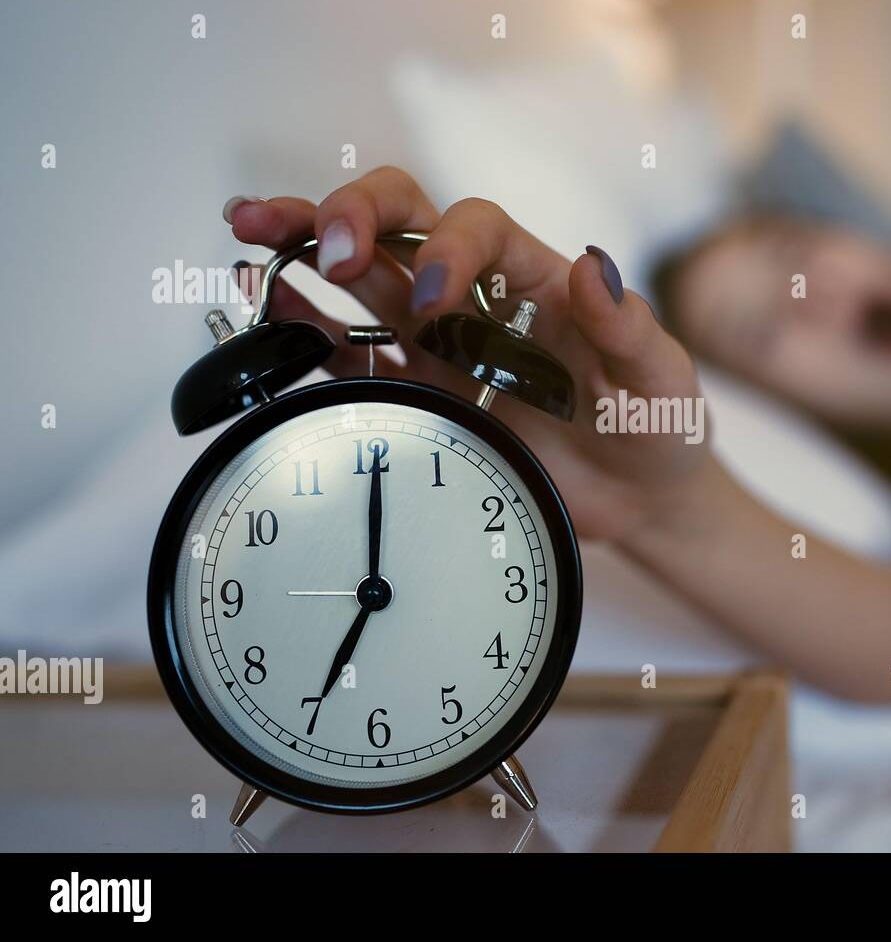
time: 7:00
